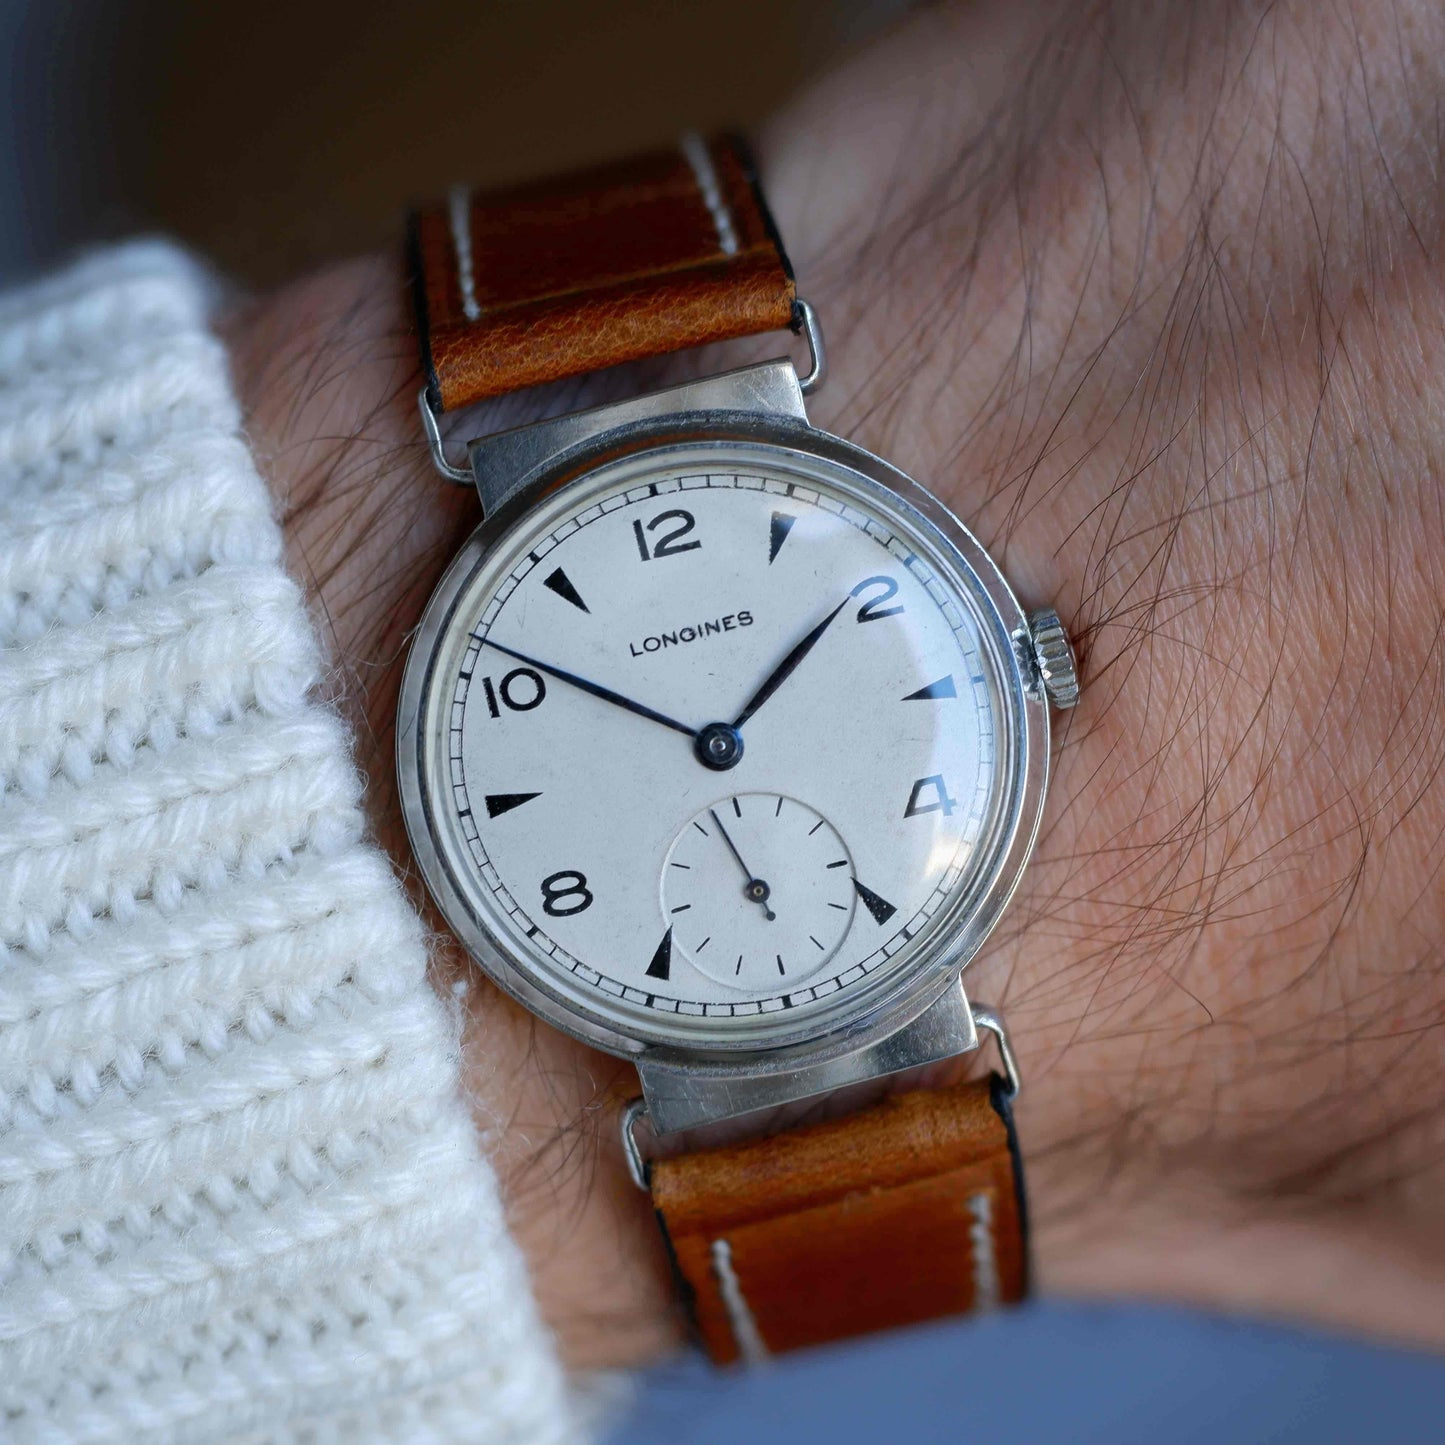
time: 1:51
